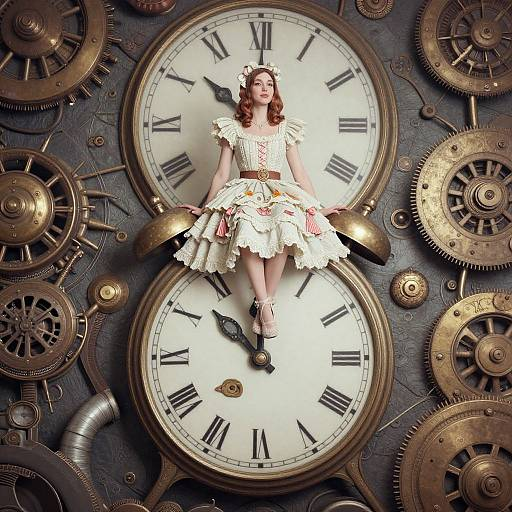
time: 10:00
